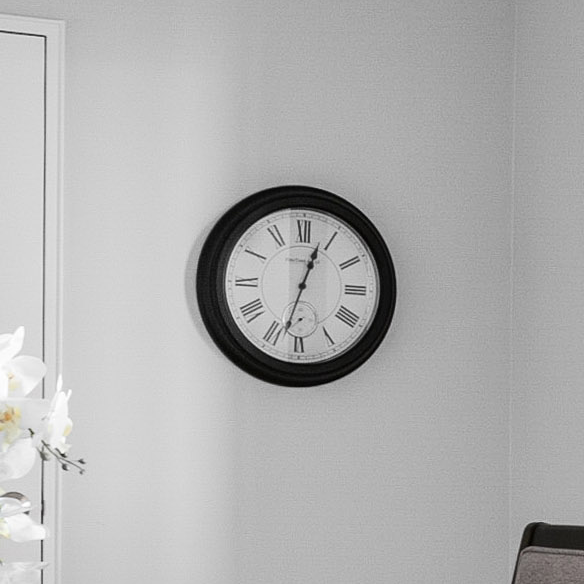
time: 12:32
